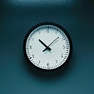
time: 10:07
